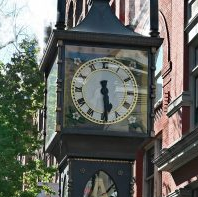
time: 5:29
